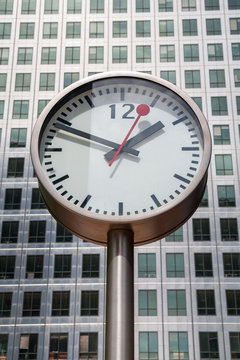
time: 1:49
